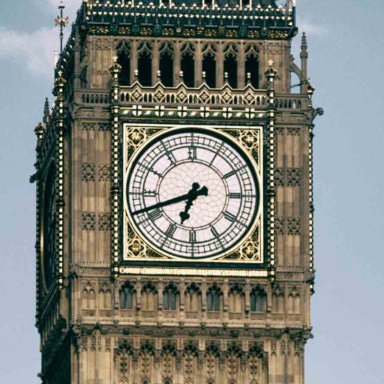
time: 6:41
